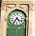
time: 4:35
